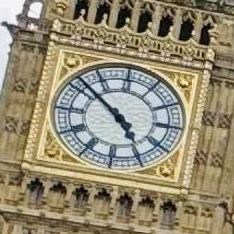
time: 4:51
